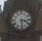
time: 3:29
